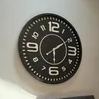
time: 6:09
